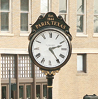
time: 2:24
